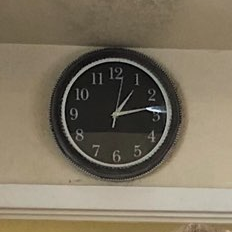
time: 1:13
